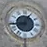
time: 12:43
